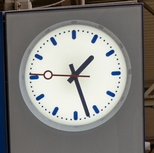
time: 1:27
